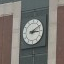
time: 3:09
